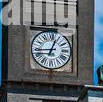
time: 12:44
